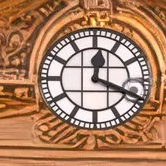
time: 12:18
